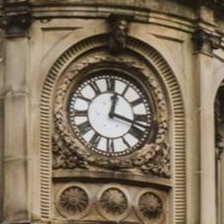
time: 12:17
